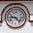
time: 9:23
